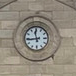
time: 11:44
